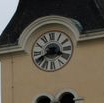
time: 3:40
